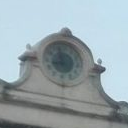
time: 8:57
